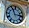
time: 11:13
